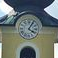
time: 4:04
